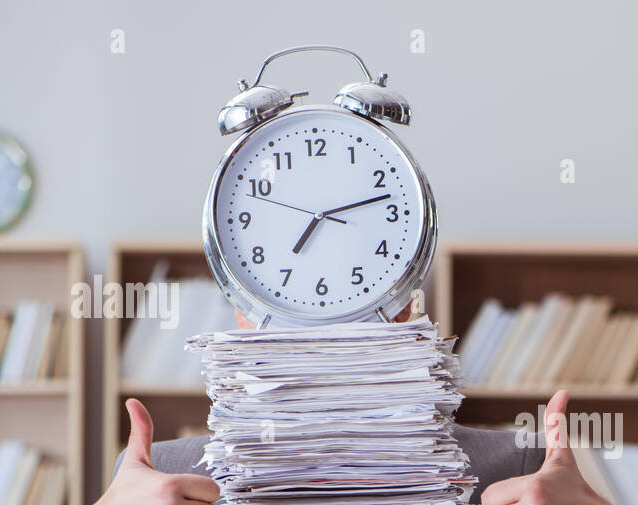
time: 7:12
